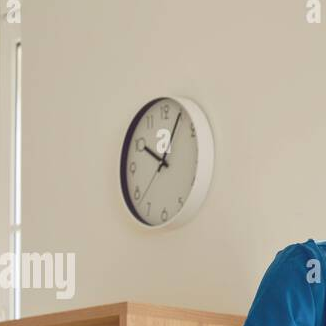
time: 10:04
